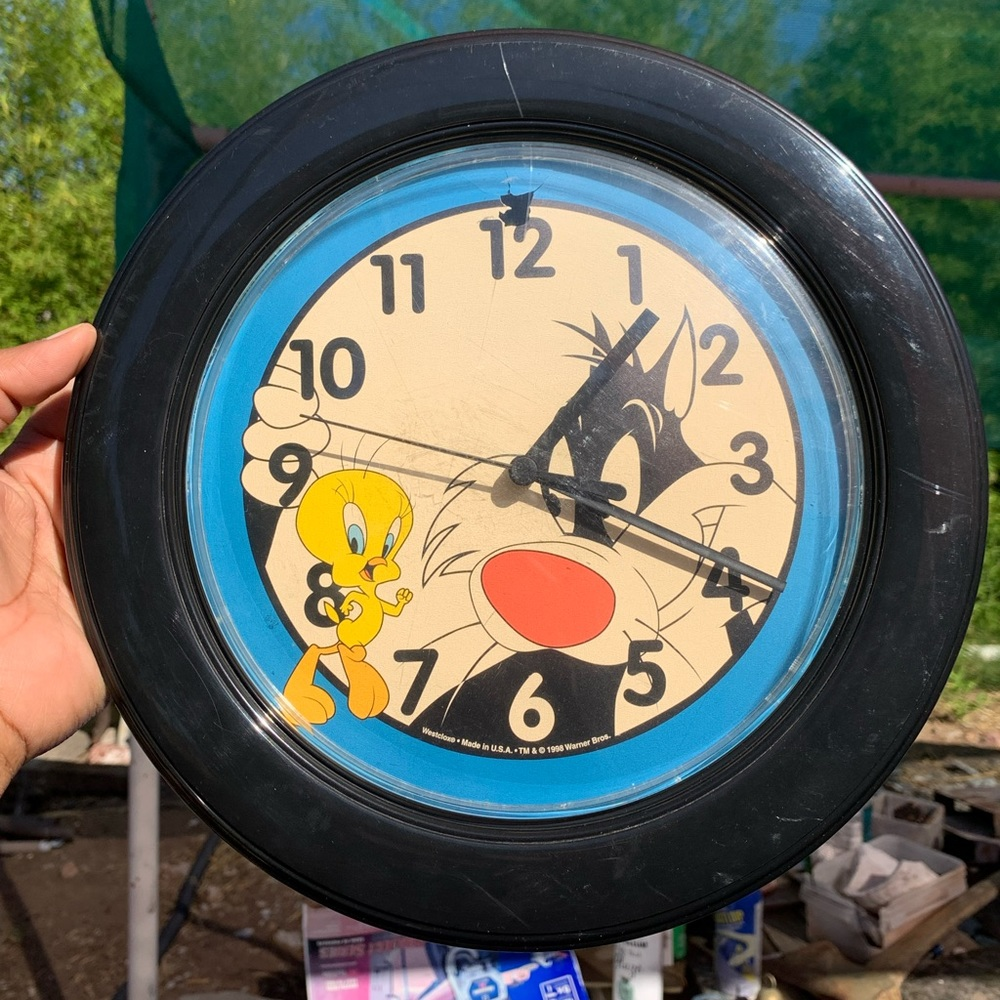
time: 1:18
